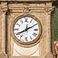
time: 8:10
